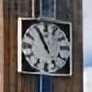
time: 10:55
